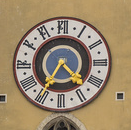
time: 4:35
